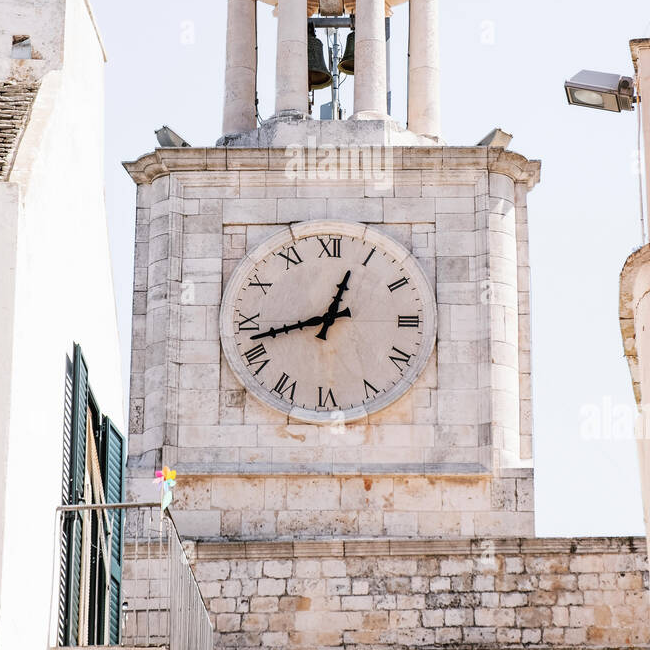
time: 12:42
